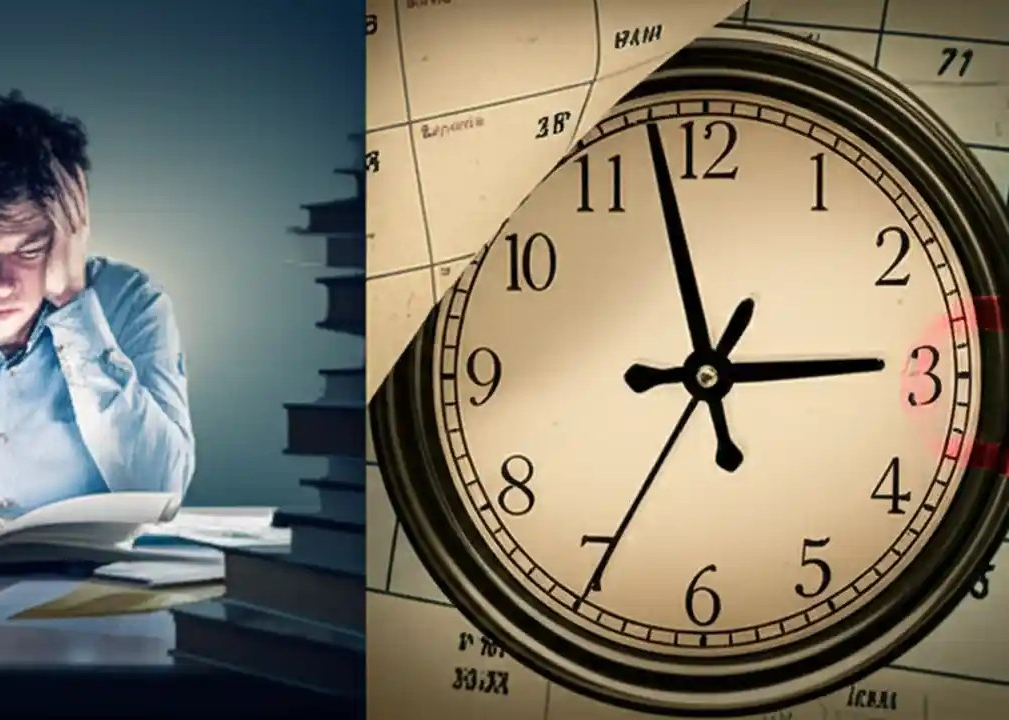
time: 2:57
